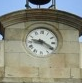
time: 9:20
